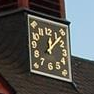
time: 12:07
